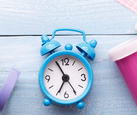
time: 6:55
